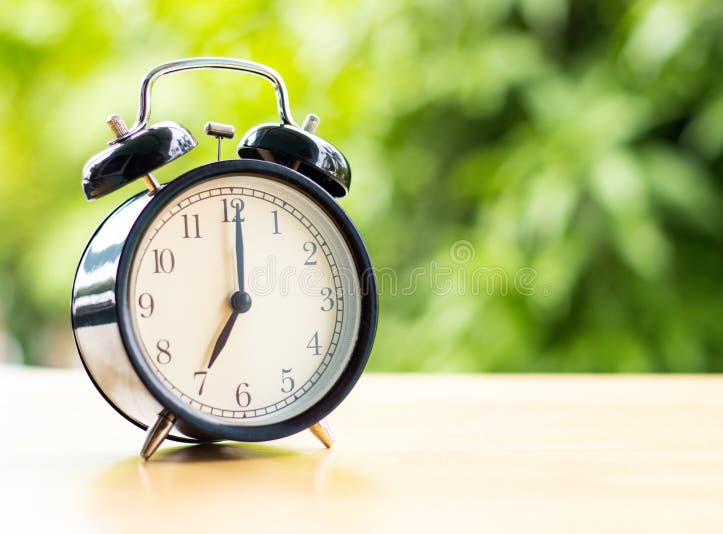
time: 7:00
